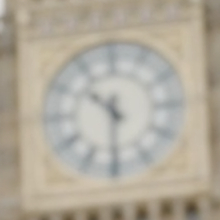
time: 10:30
